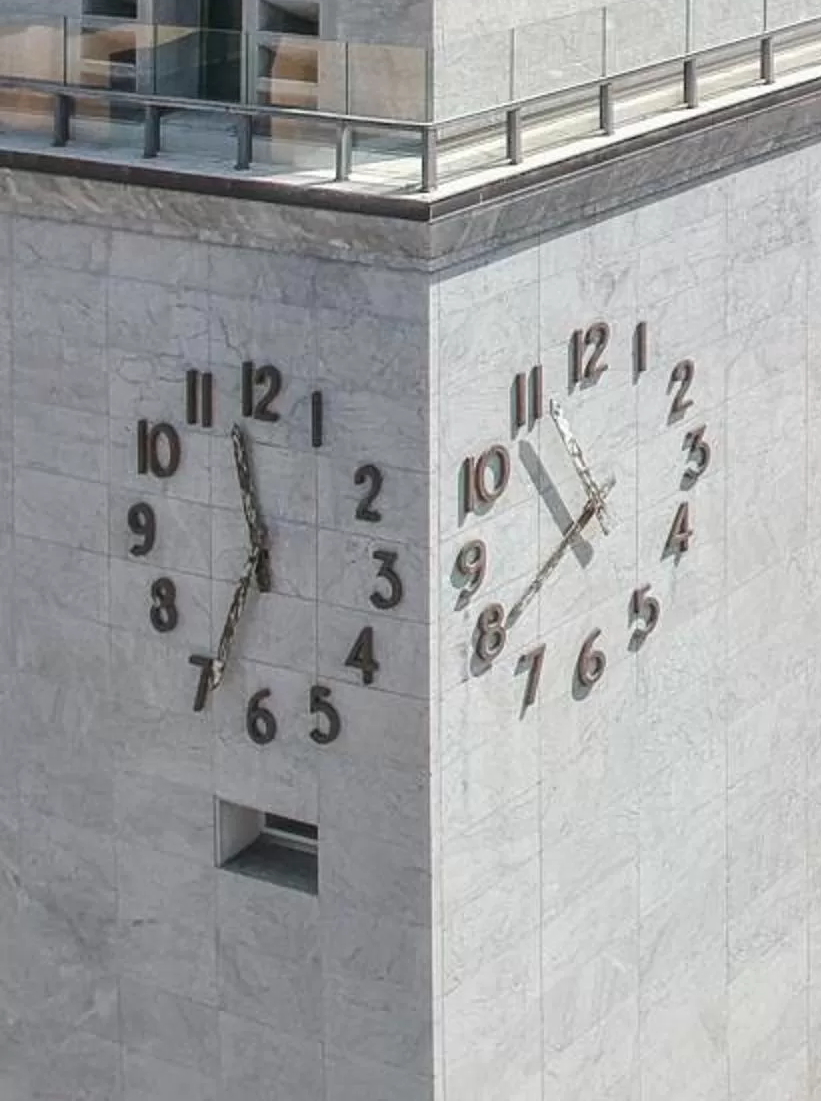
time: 11:34
